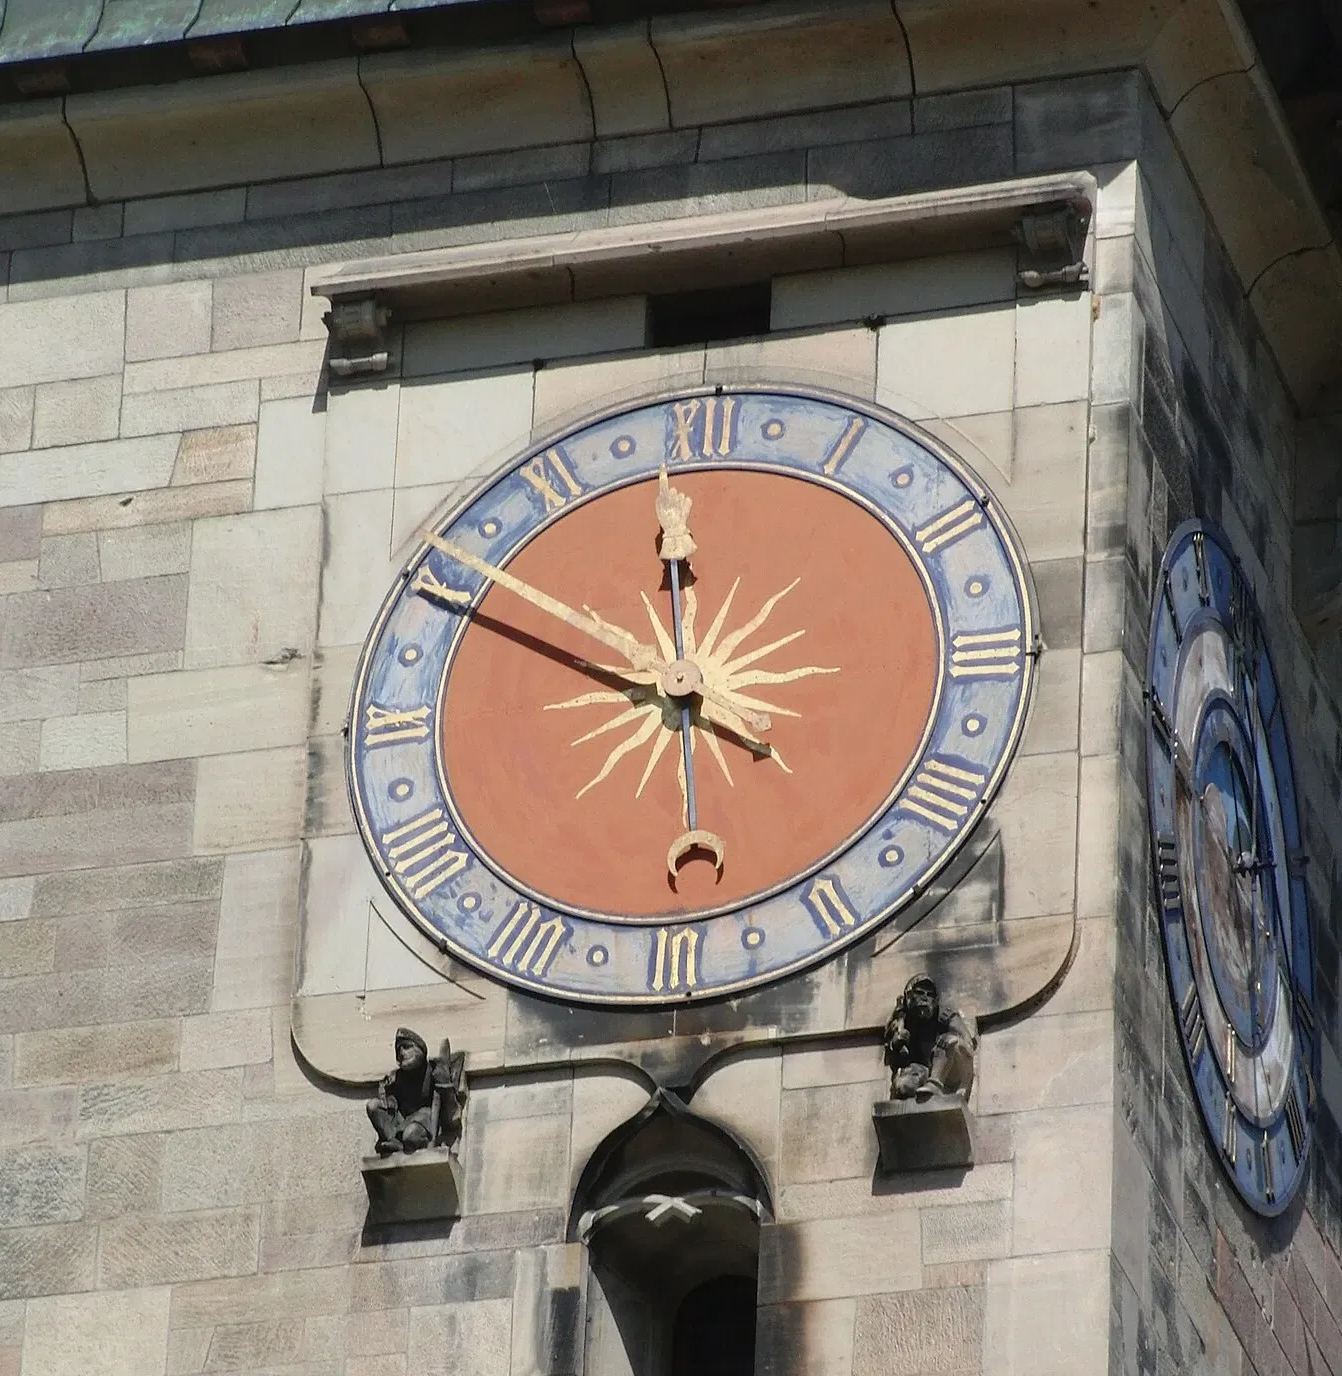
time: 11:49
